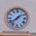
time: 1:38
